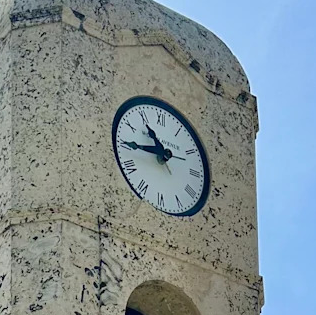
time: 10:44
